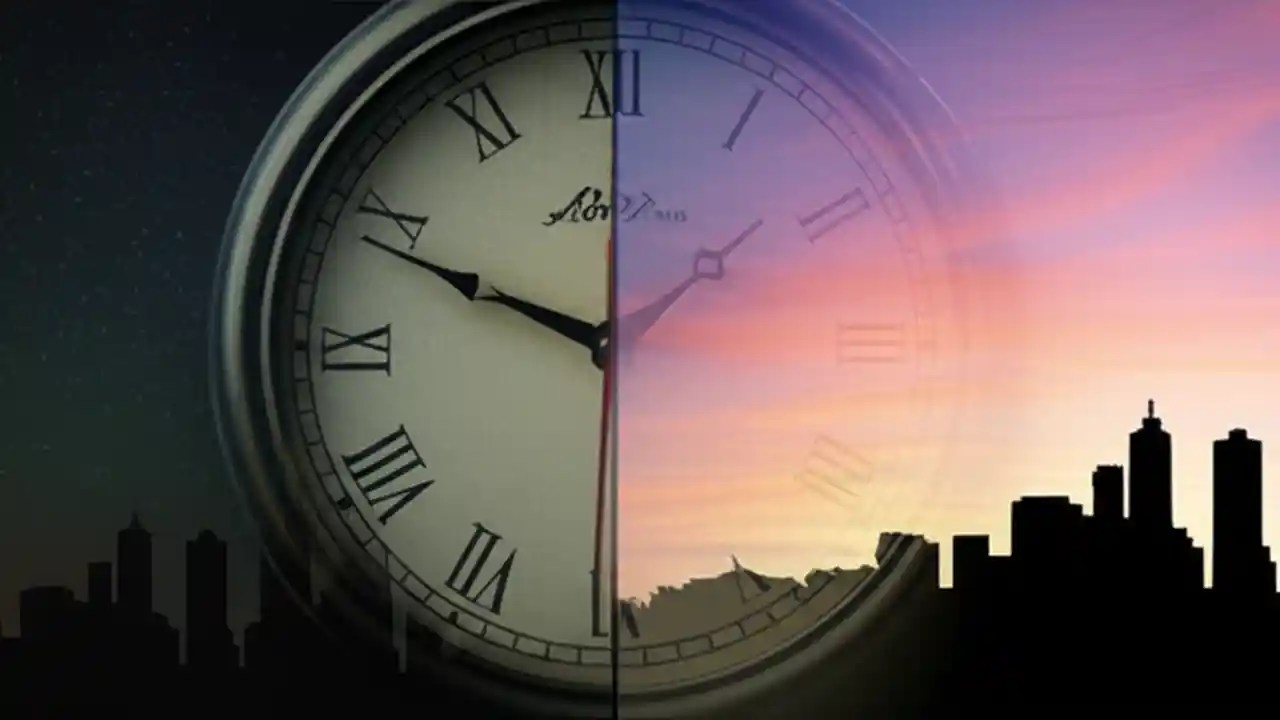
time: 9:49
